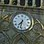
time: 7:32
